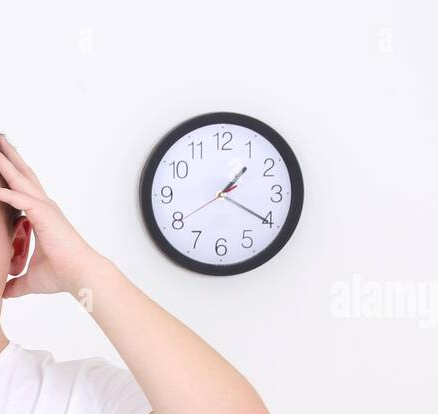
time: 1:20
